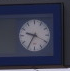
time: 9:35
